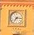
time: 7:15
